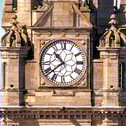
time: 10:38
